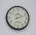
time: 8:11
